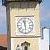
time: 11:29
